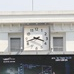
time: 3:42
